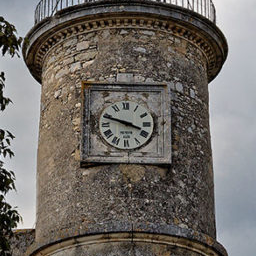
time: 3:48
